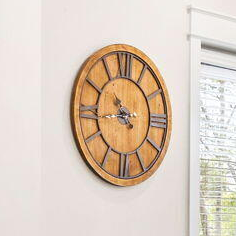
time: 10:43
